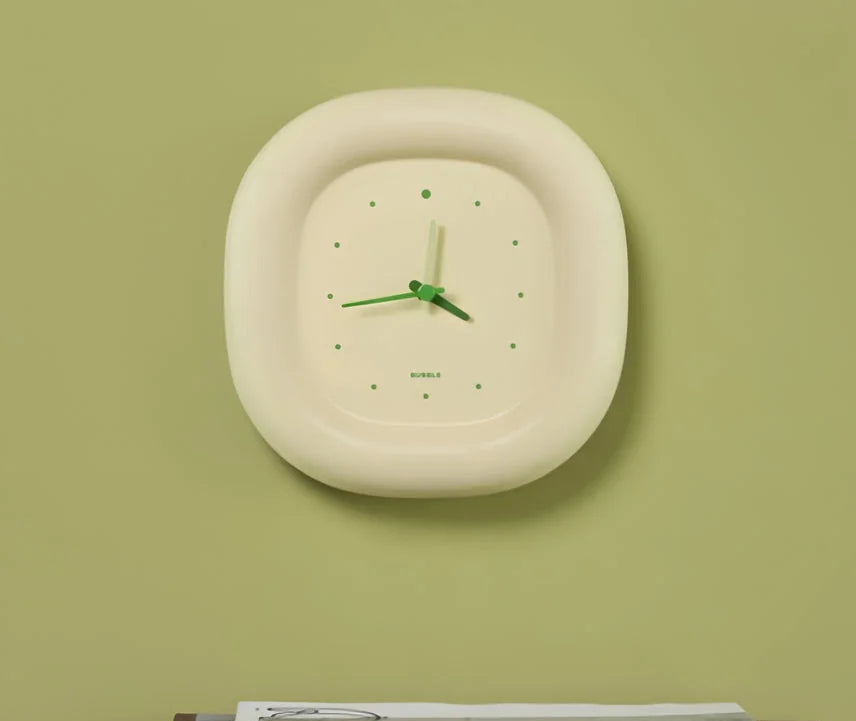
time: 3:43
